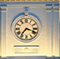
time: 7:18
